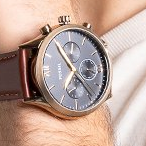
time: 4:54
